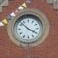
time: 3:52
